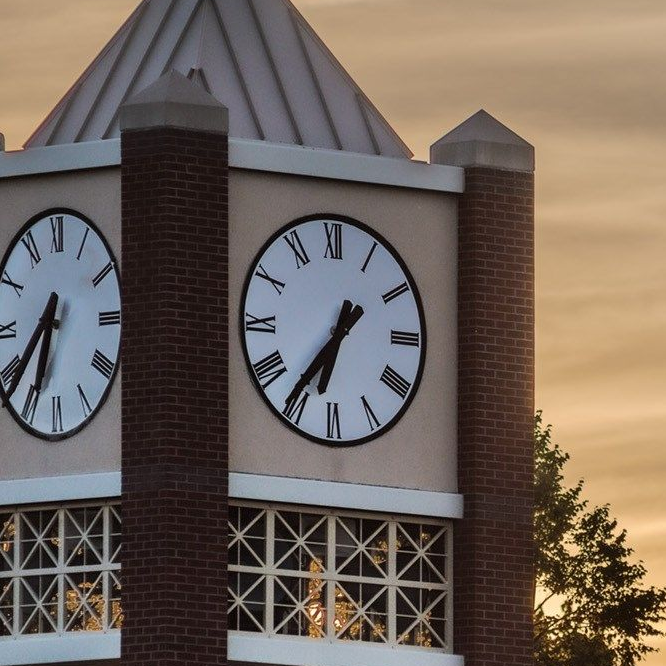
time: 6:36
